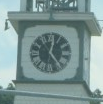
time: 12:23
